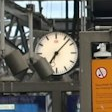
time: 7:07
